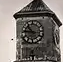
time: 10:46
